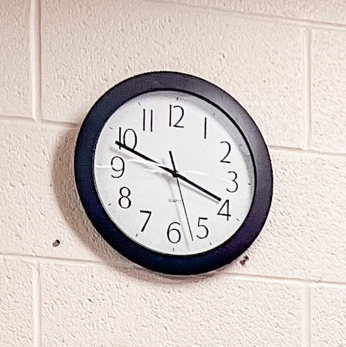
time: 3:48
